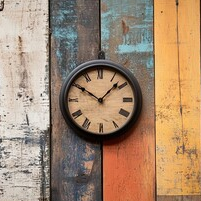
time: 10:07
